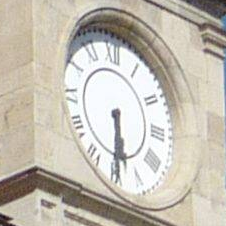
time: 5:29
